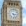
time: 5:15
